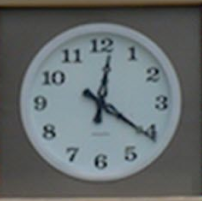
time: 12:20
